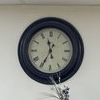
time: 11:34
